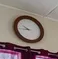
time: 9:43
